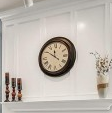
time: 11:50
